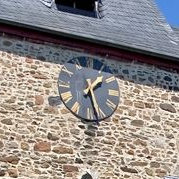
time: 1:27
